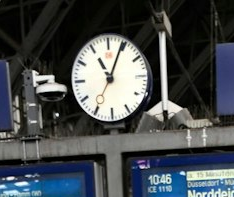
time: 11:04
